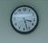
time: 3:27
